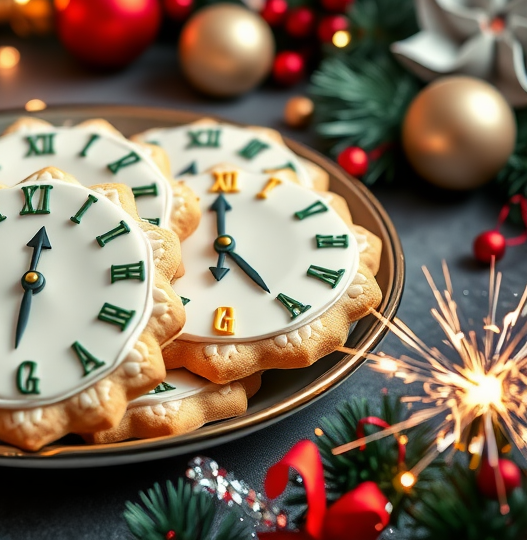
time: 12:23
